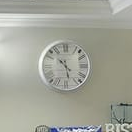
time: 10:28
